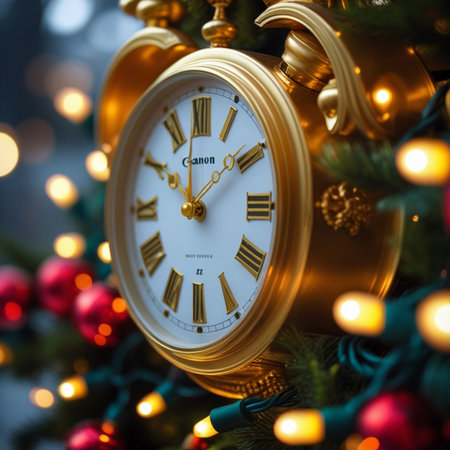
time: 1:50
